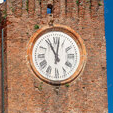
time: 11:01
